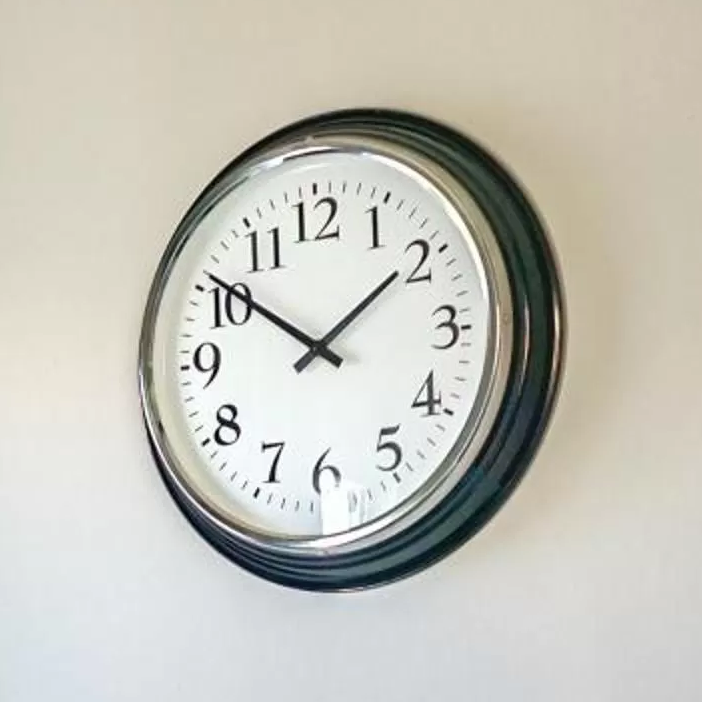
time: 1:50
